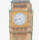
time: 4:42
